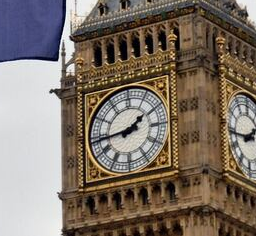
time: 1:43
